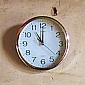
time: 11:00
